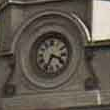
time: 3:34
